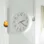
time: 2:21
